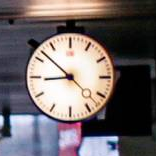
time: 8:52
